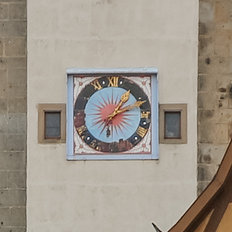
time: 1:10
